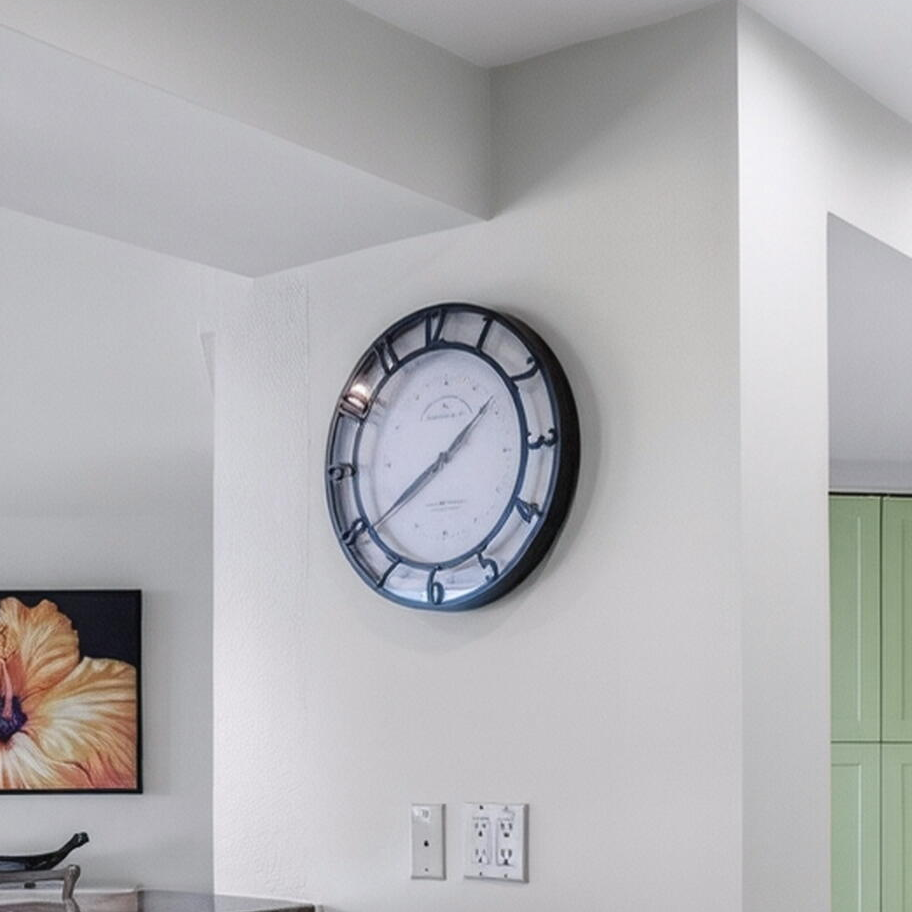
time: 1:39
